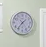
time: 1:36
